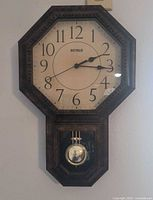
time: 2:15
